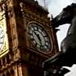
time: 10:28
